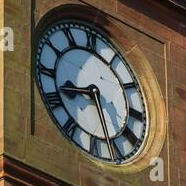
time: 8:26
